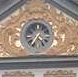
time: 4:35
